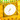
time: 7:32
